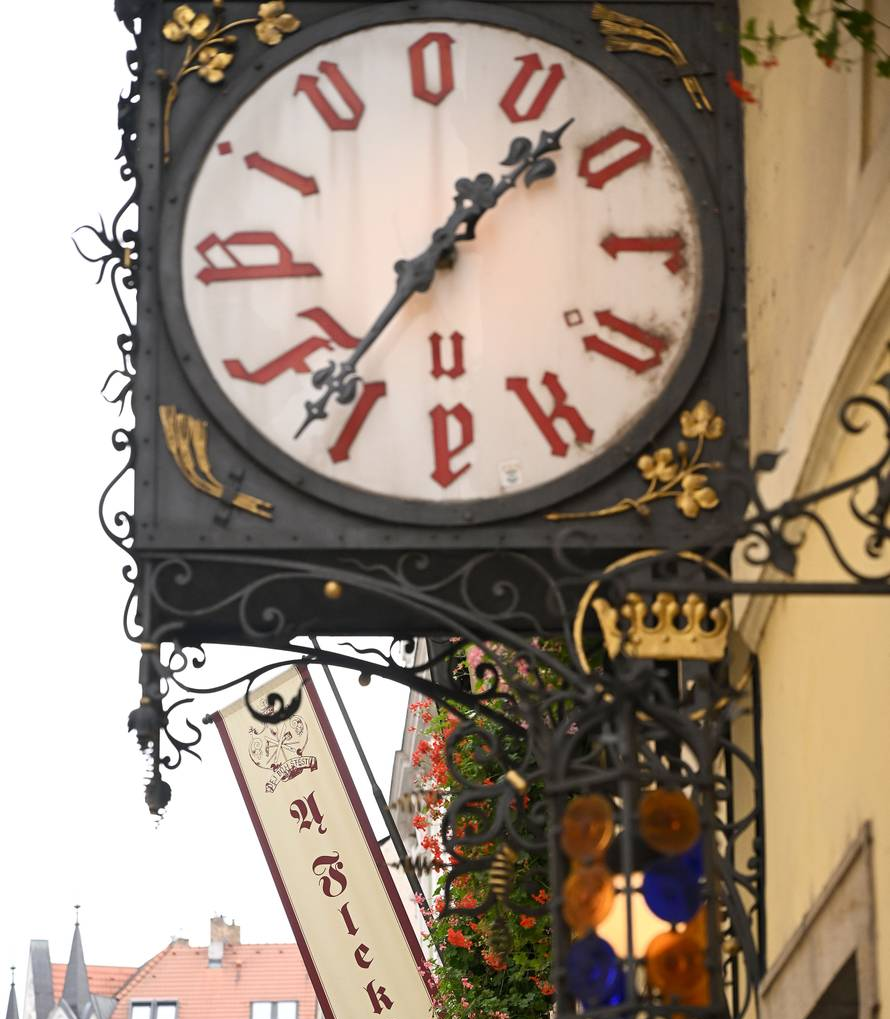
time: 1:36
